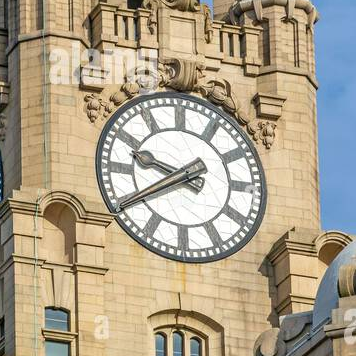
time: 9:40
